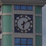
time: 6:10
